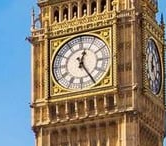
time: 12:24
